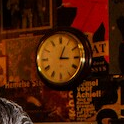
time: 3:03
